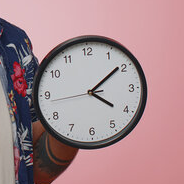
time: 4:08
